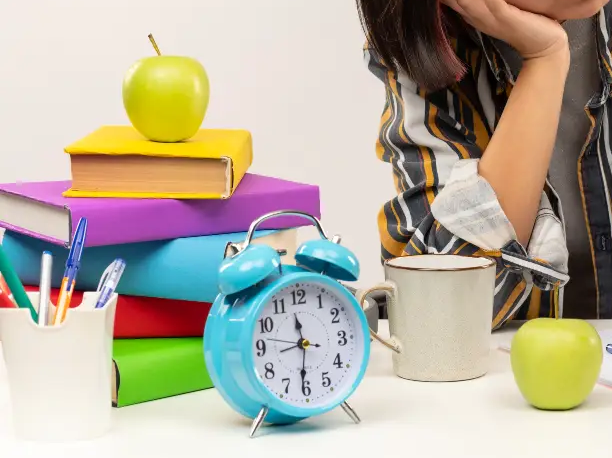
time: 11:31
